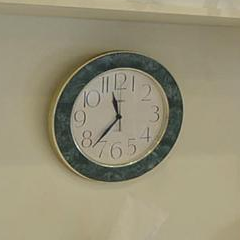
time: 11:37
